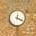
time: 12:19
